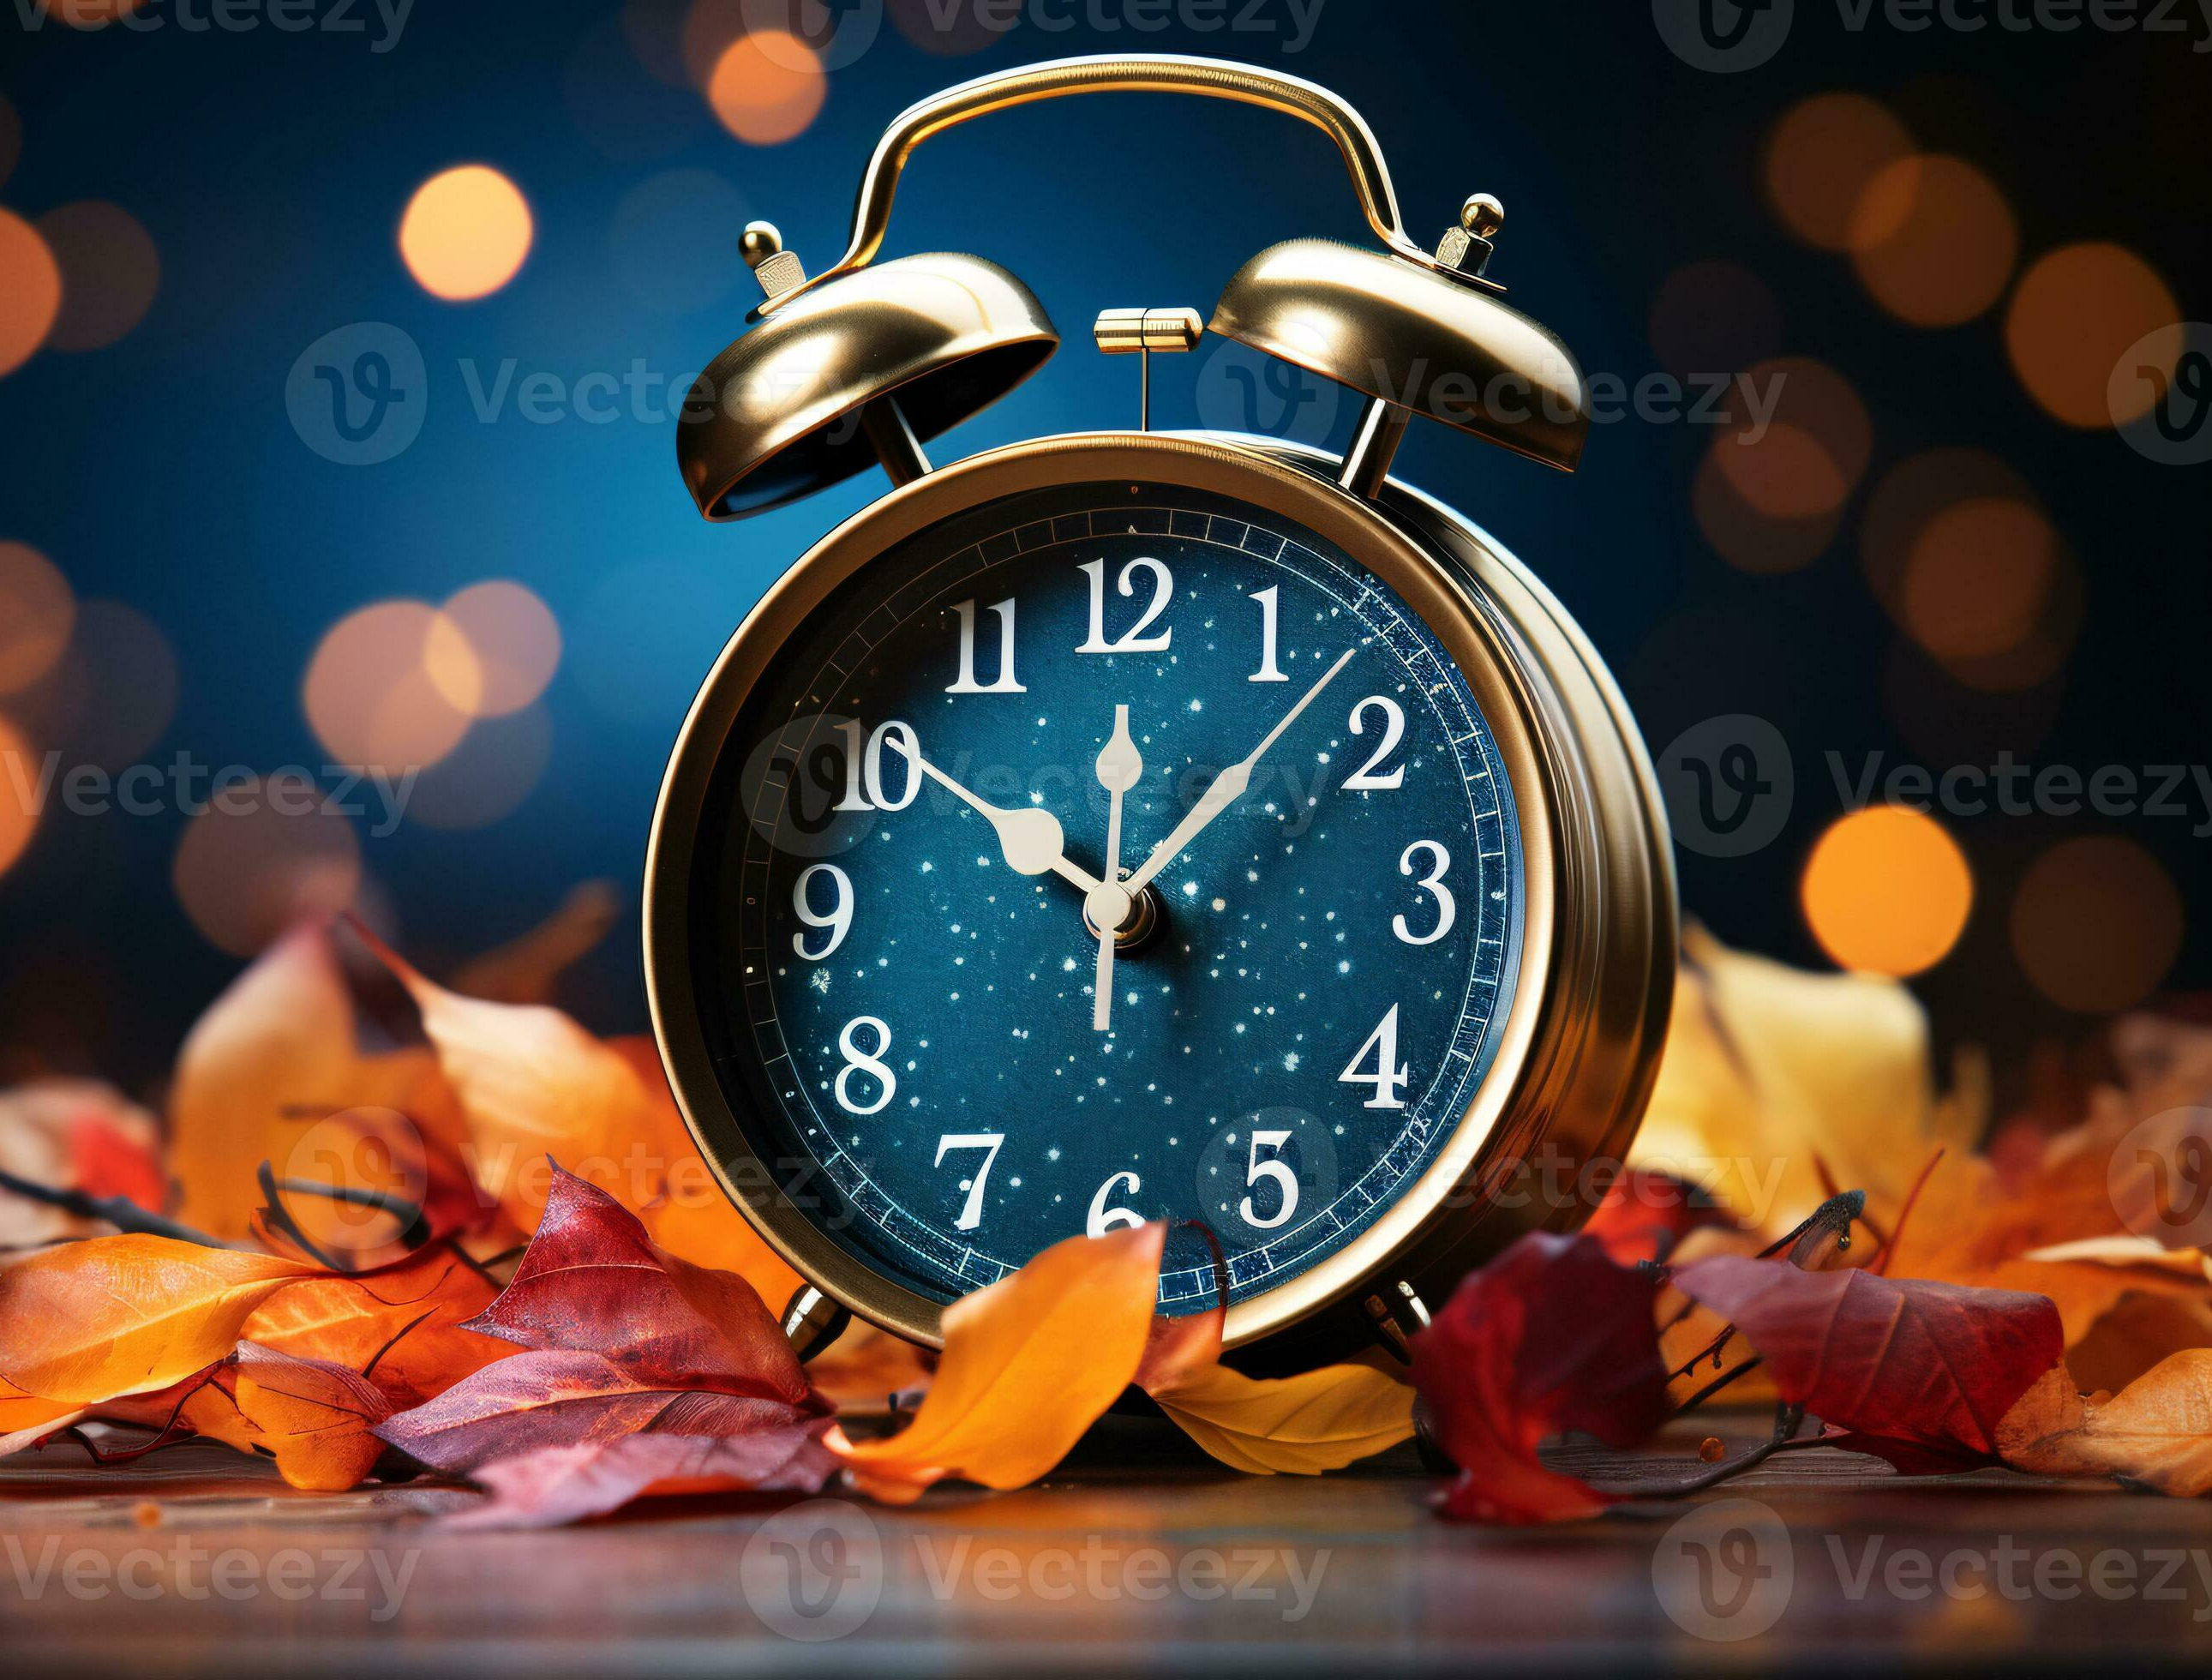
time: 10:07
